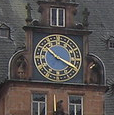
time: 10:19
